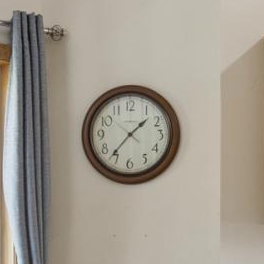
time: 1:36
